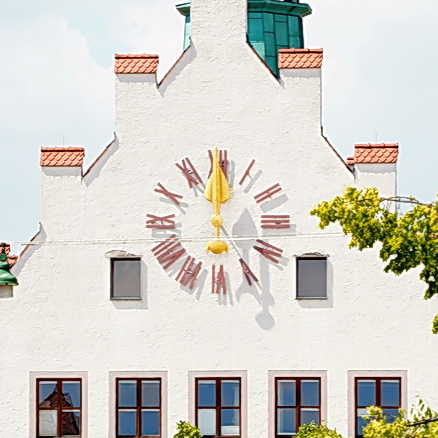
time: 12:00
